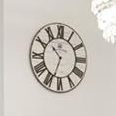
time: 10:33
